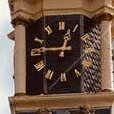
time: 12:46
